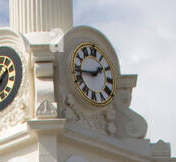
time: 1:43
